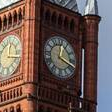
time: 12:18
